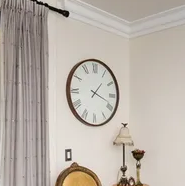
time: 1:18
